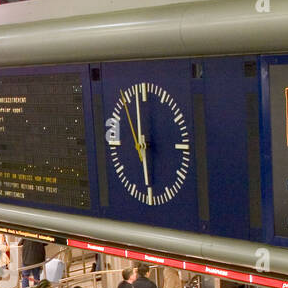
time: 5:58
